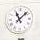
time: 11:07
